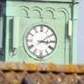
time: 3:09
